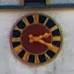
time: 2:18
